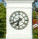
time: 6:40
